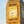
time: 8:32
